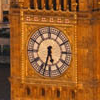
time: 5:32
